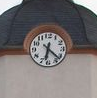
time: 6:22
